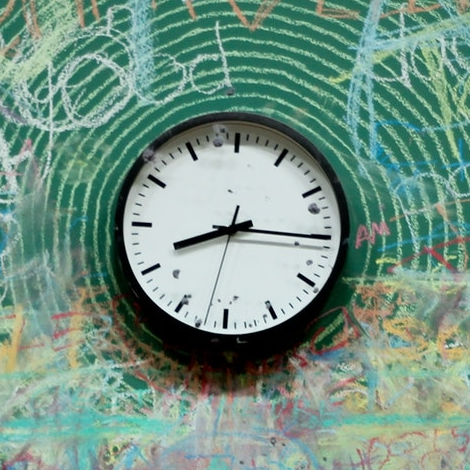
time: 8:15
